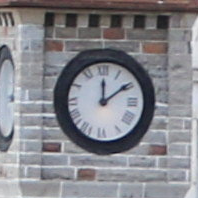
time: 12:09
